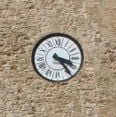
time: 3:23
